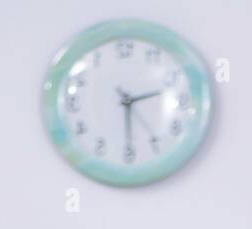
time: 2:29
